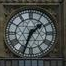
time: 1:33
